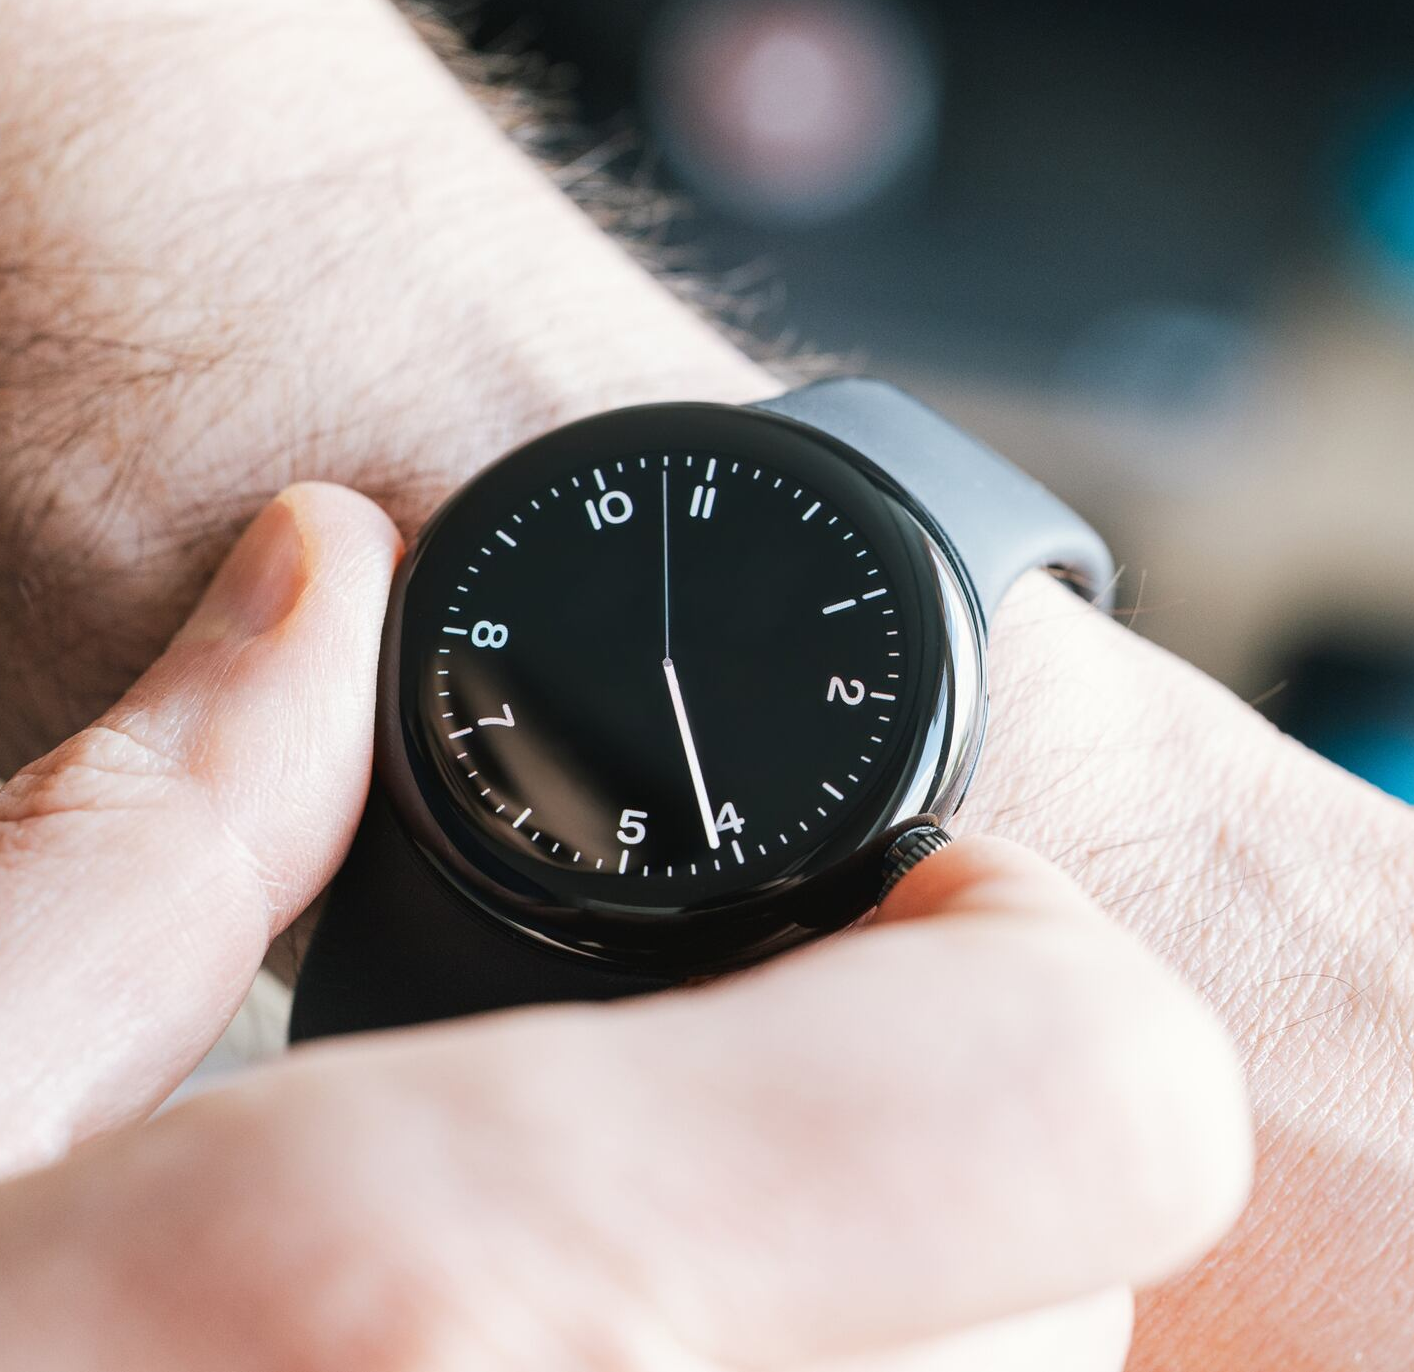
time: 5:26
